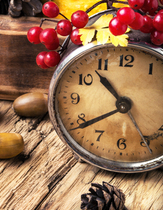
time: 10:39
